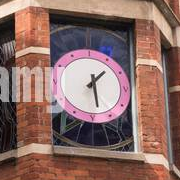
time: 1:28
